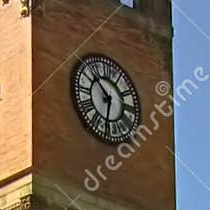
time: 10:32
